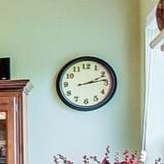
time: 2:13
